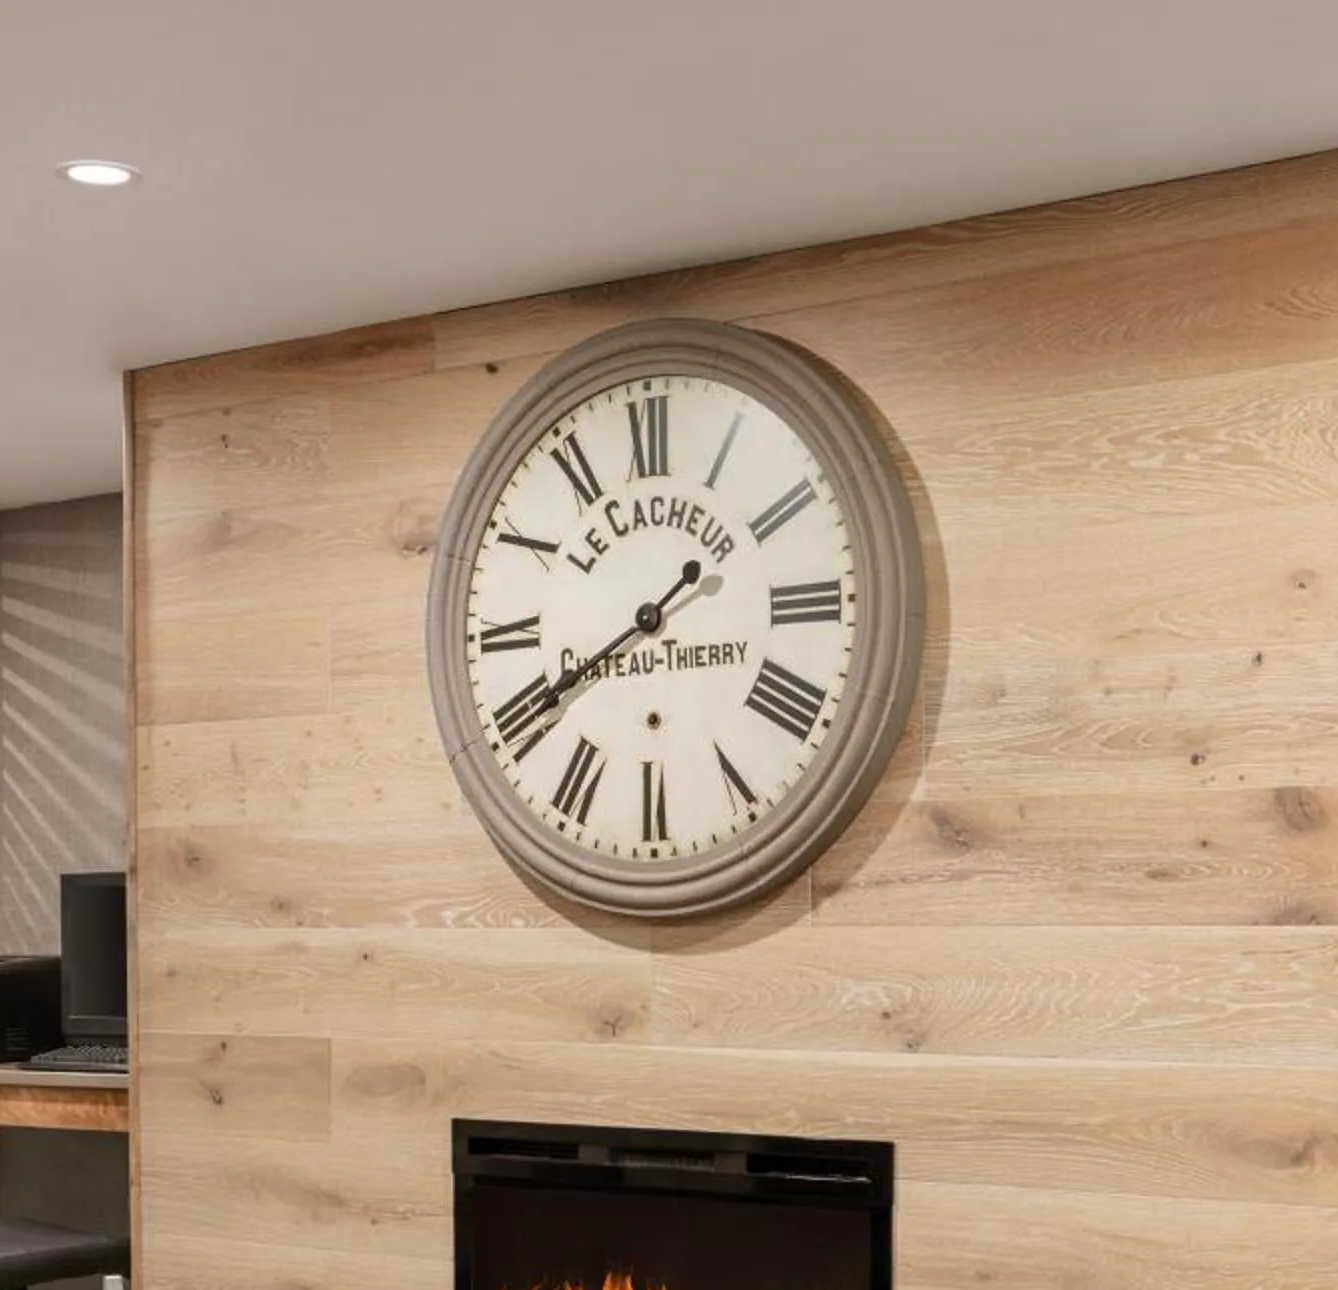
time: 1:40
